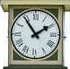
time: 1:54
